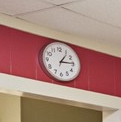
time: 1:14
